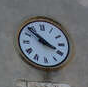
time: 3:52
